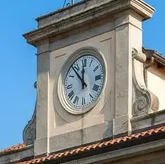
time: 11:53
